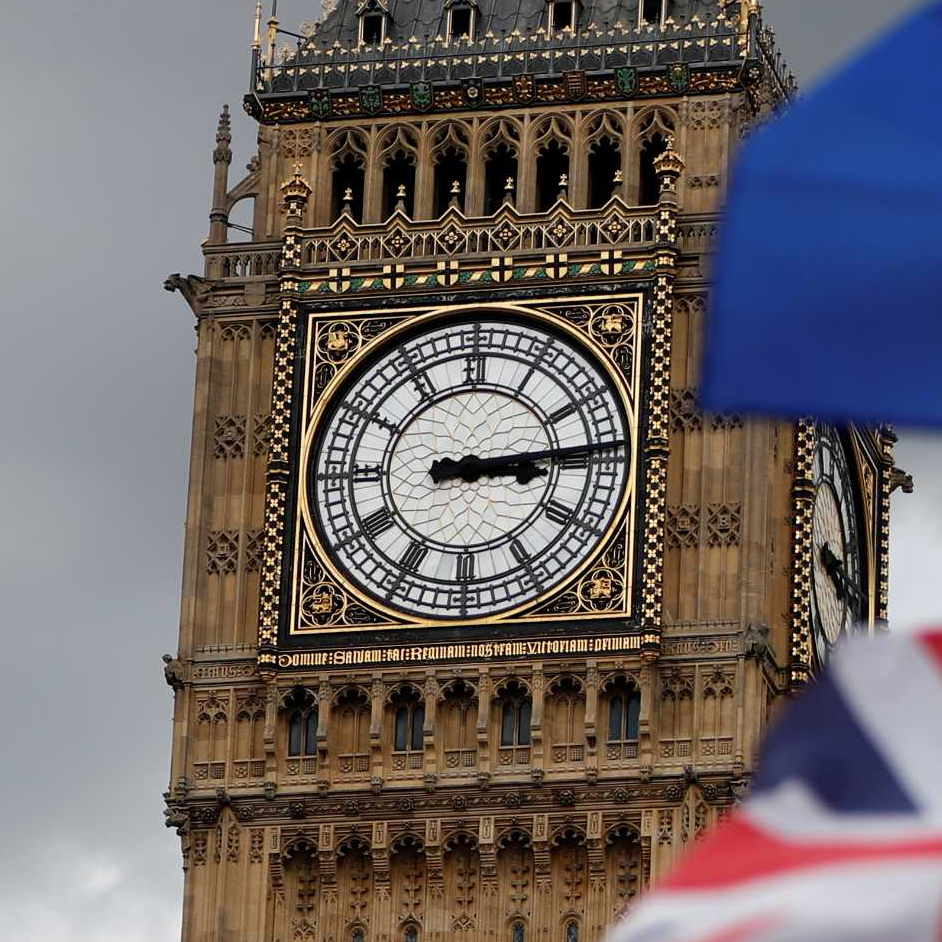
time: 3:13
